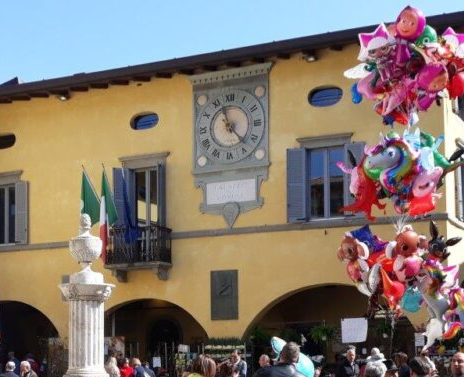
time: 11:22
